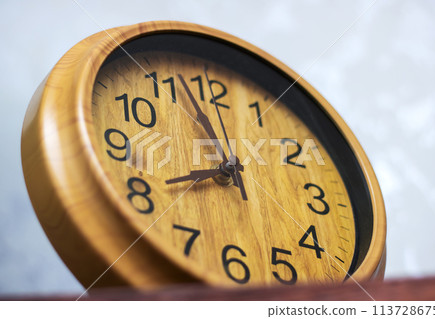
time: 7:57
